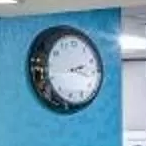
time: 2:17
